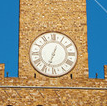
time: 12:33
